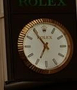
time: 6:54
